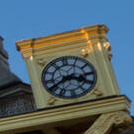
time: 3:40
